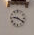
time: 9:20
